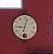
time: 9:02
